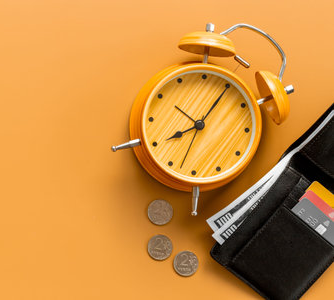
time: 8:04
